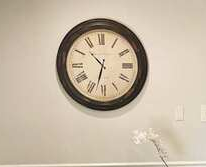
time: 10:32
